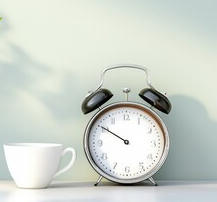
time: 9:50
